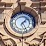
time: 1:24
